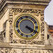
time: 4:19
